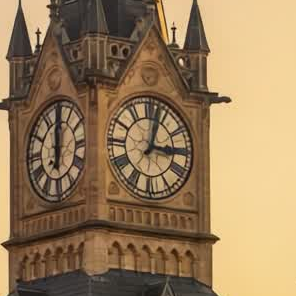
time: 3:02
